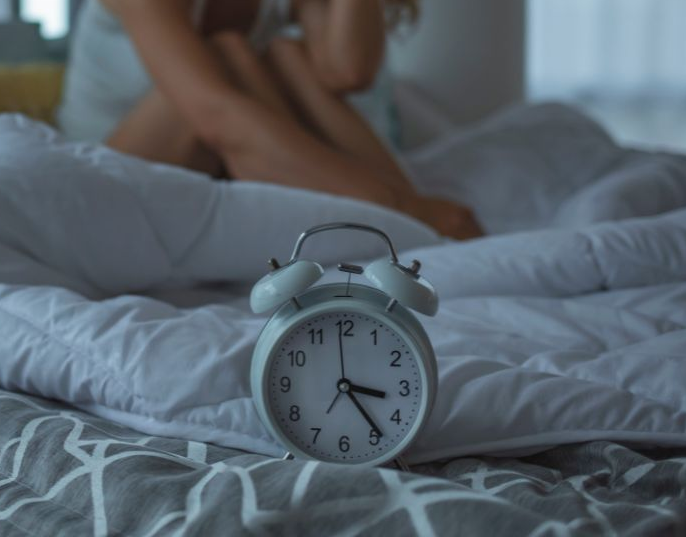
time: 3:23
